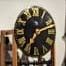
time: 7:11
